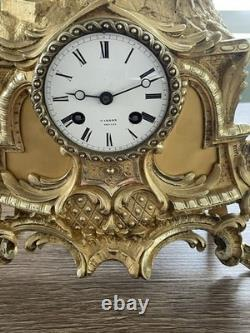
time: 9:11
